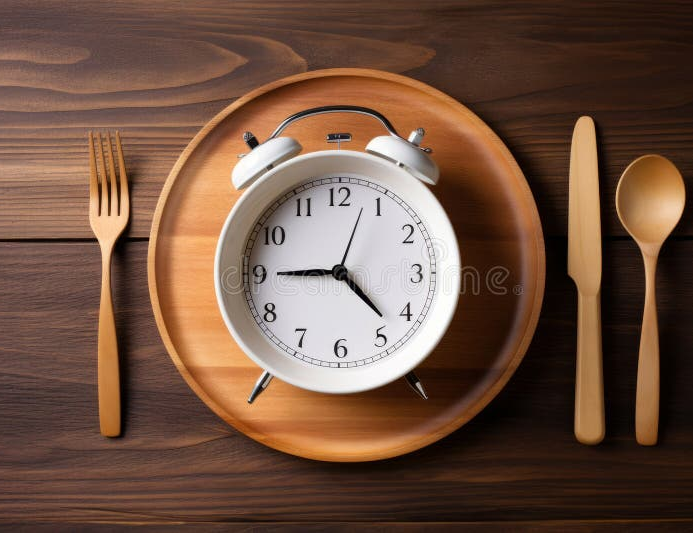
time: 4:44
